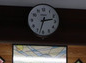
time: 2:32
